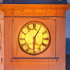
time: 6:05
